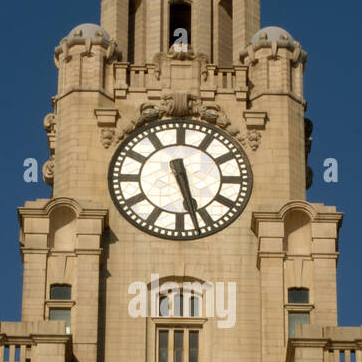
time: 5:26
